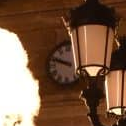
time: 9:48
